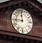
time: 11:44
